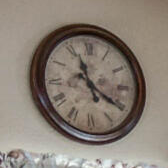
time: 11:20
